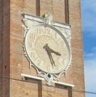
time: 3:26
